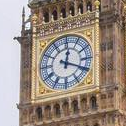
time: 12:19
